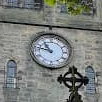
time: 10:47
